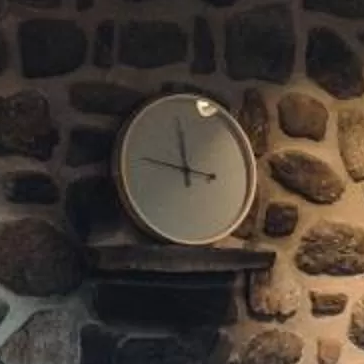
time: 11:46
